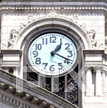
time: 1:18
